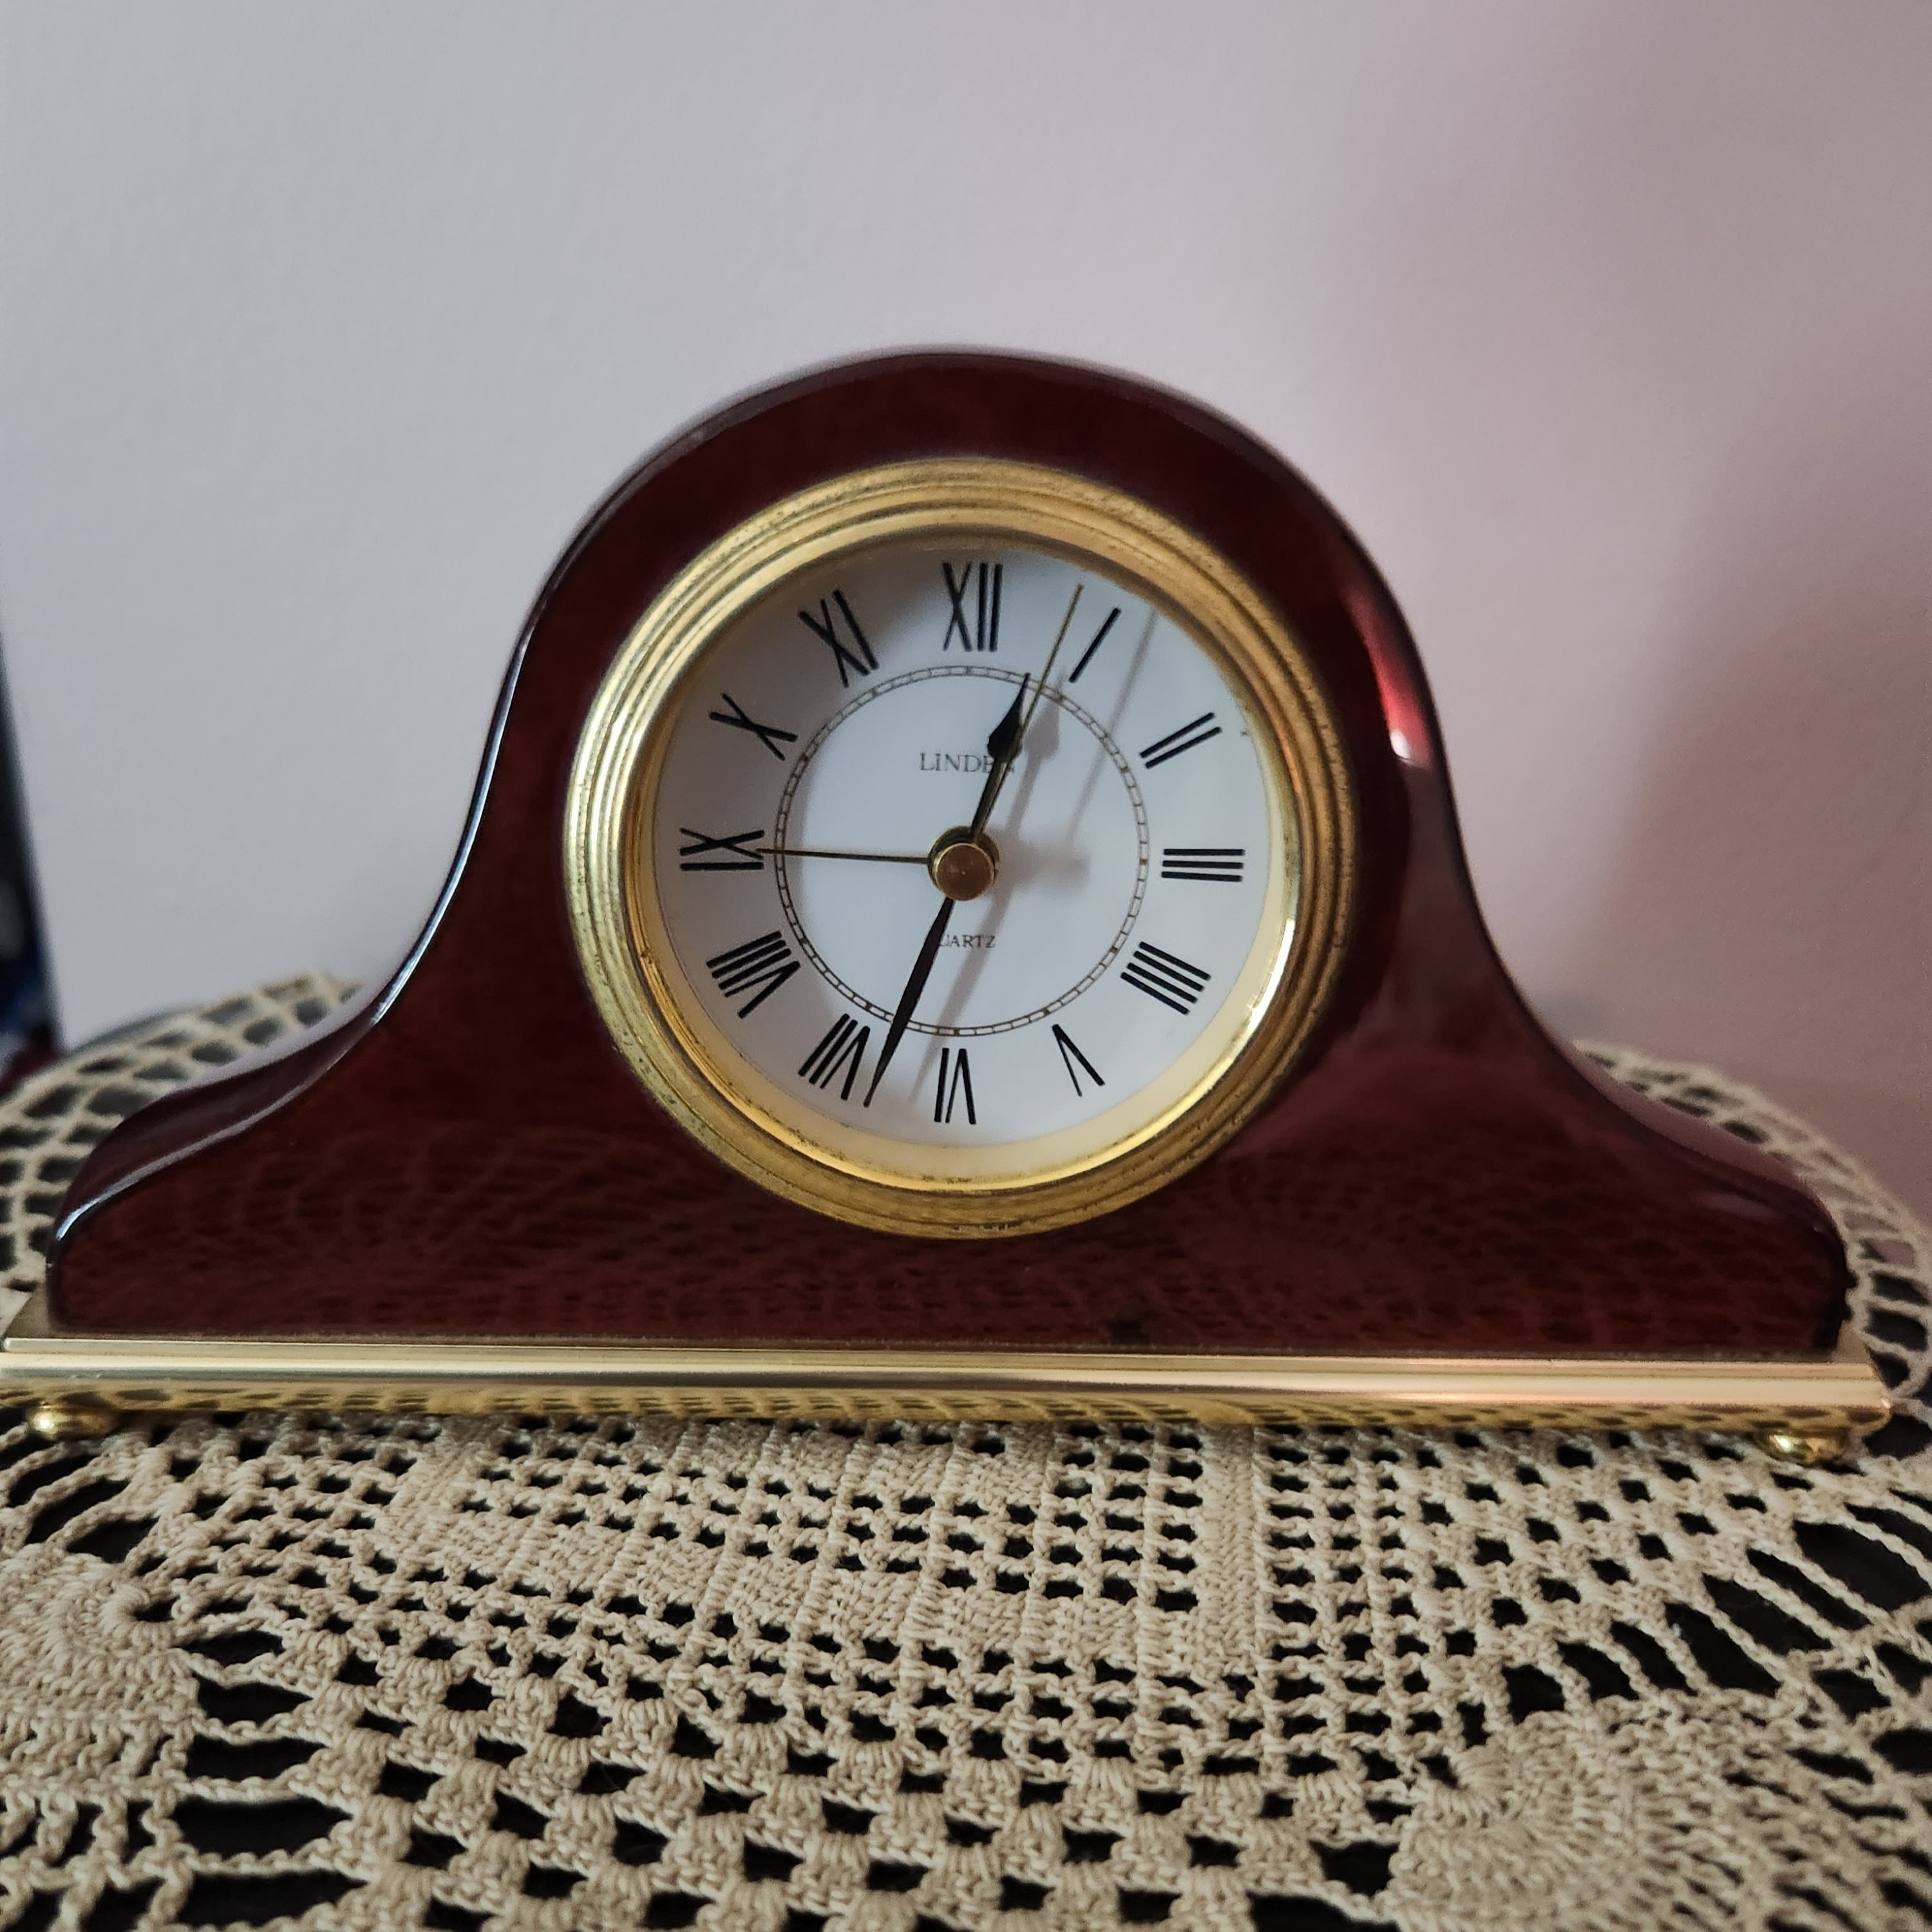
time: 12:33
